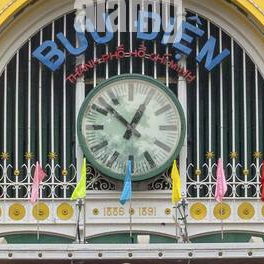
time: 12:52
